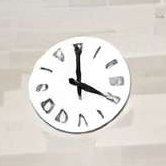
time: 4:00
